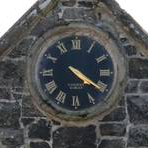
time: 4:20
